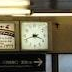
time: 3:42
